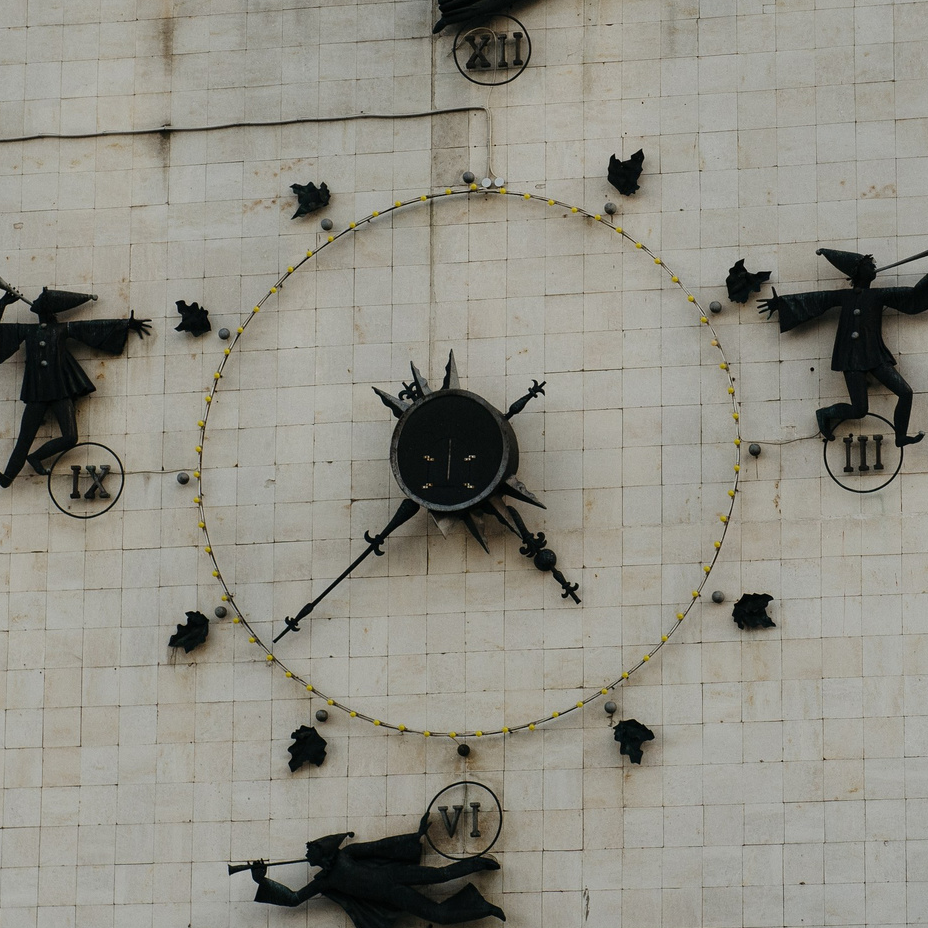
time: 4:38
